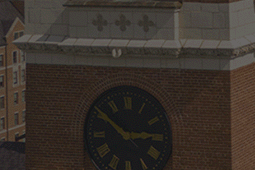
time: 2:50
